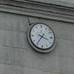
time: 3:36
